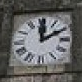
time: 12:09
